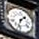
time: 1:32
